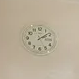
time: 2:08
